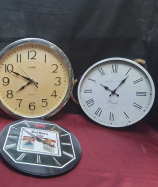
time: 10:06
